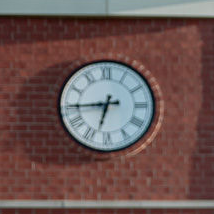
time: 6:44
